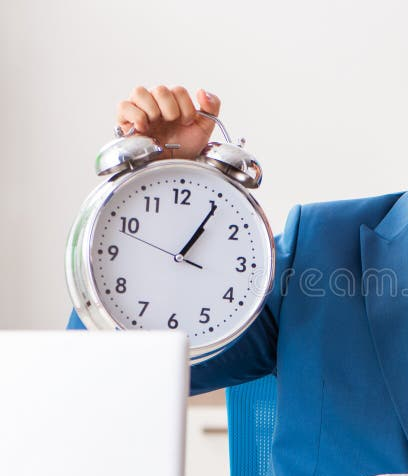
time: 1:05
